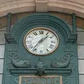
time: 1:36
